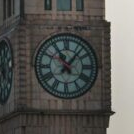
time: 11:06
